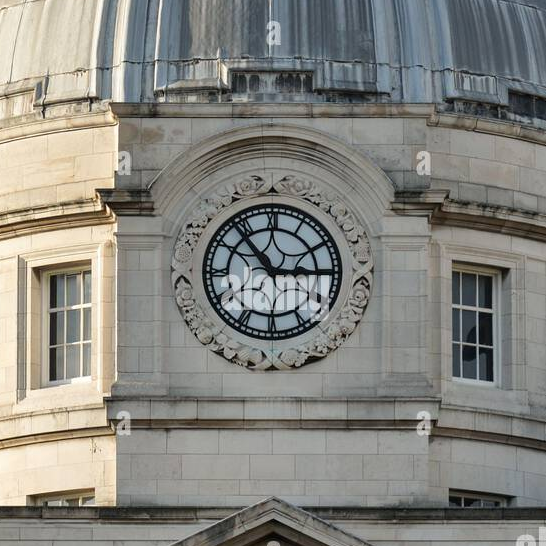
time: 2:53
